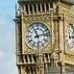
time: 11:12
